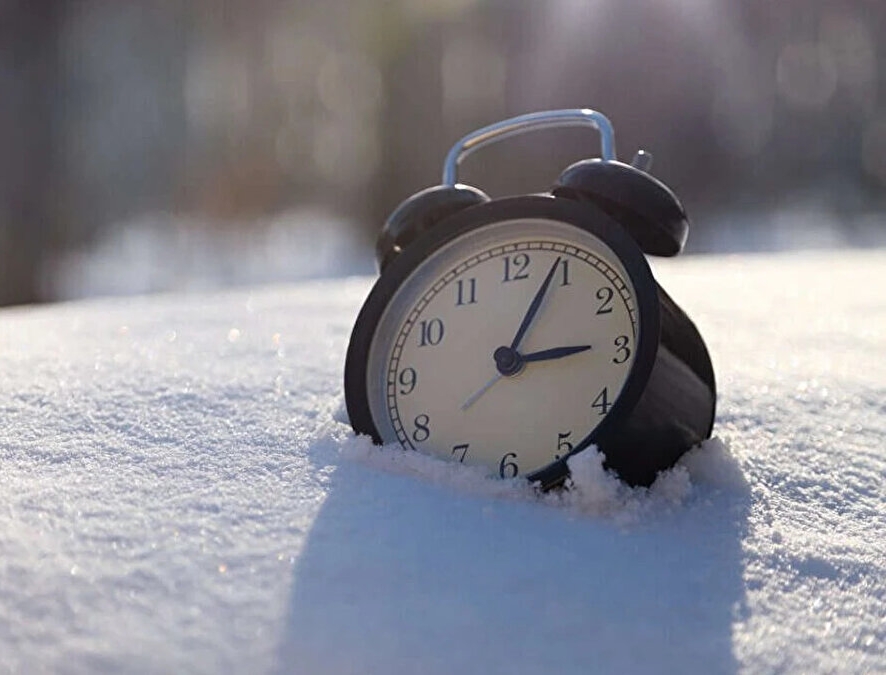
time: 3:04
